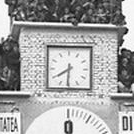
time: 7:30
